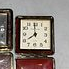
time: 7:59
